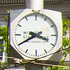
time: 3:40
